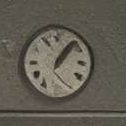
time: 1:06
